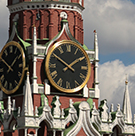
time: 1:50
